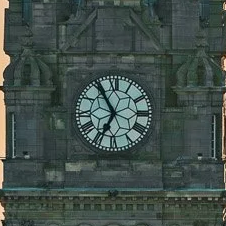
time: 6:54
